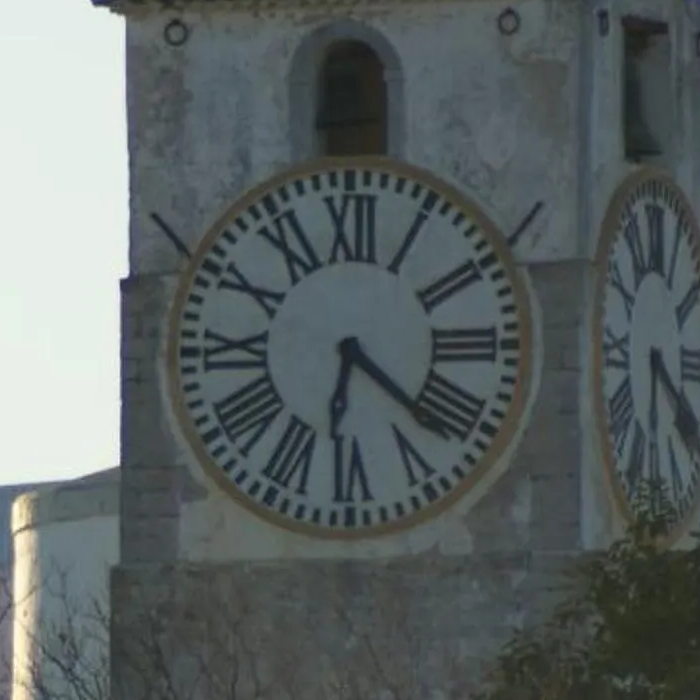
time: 6:21
